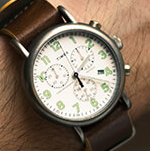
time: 5:06
